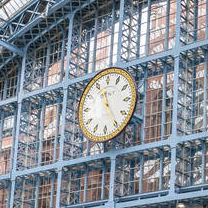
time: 11:25
